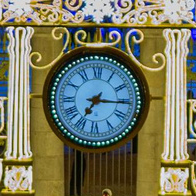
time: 7:15
